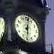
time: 6:01
